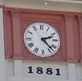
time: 2:22
